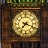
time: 7:18
